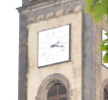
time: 2:17
